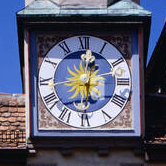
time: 12:28
